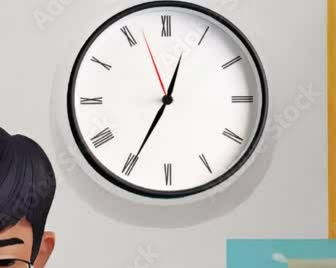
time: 12:34
